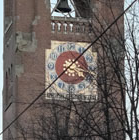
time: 1:38
